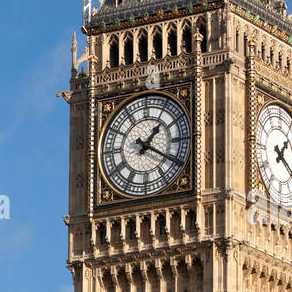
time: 1:20
